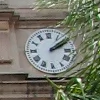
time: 2:09
